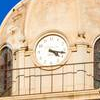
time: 4:17
